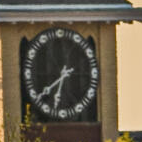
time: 6:39
